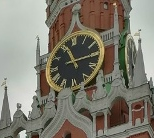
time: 11:14
